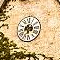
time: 7:15
